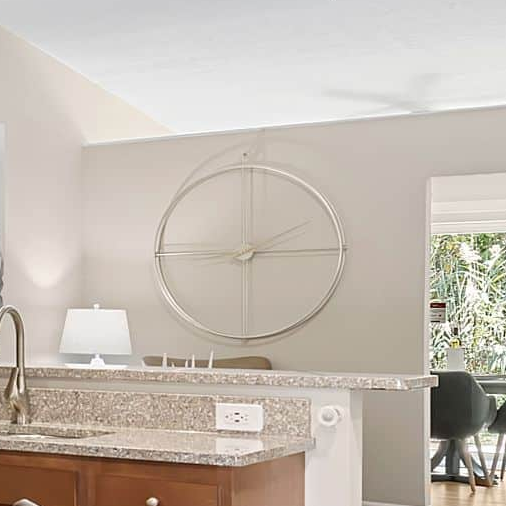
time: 2:00
